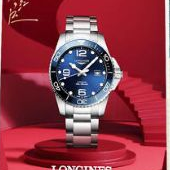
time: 10:07
